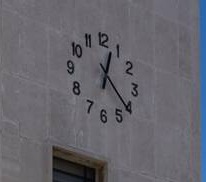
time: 12:21
